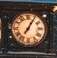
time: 7:05
